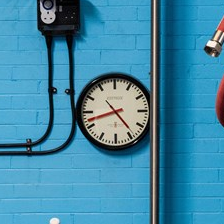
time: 8:23
